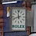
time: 11:41
